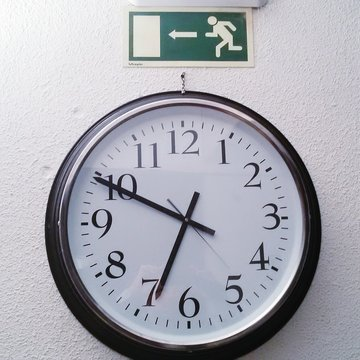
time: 6:49
